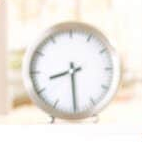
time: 8:29
